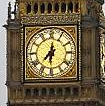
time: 7:31
